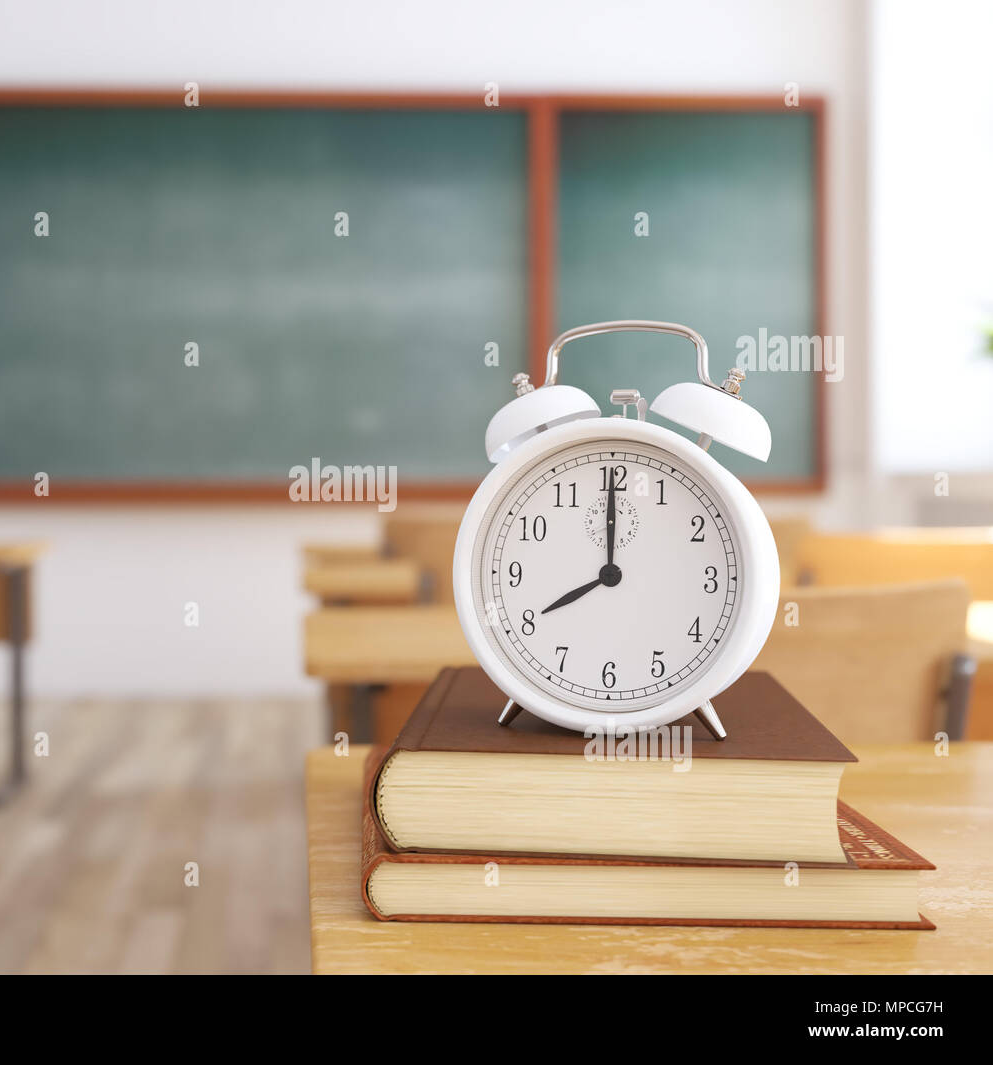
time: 8:00
